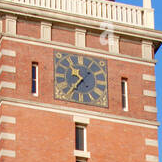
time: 10:36
